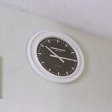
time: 10:14
